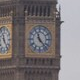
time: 11:22
